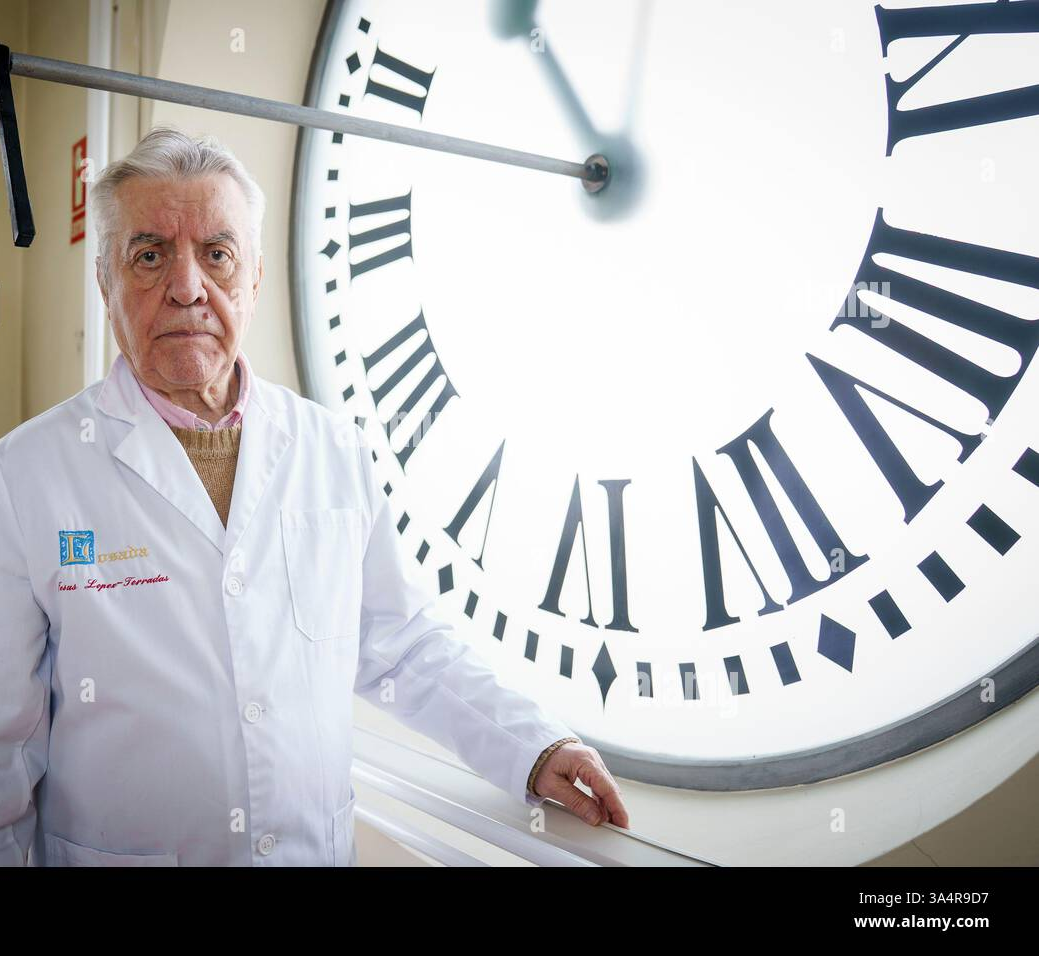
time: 10:47
